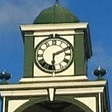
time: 6:11
